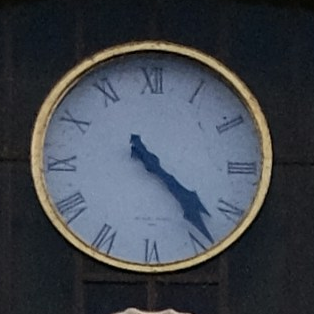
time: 4:23
